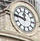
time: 11:46
